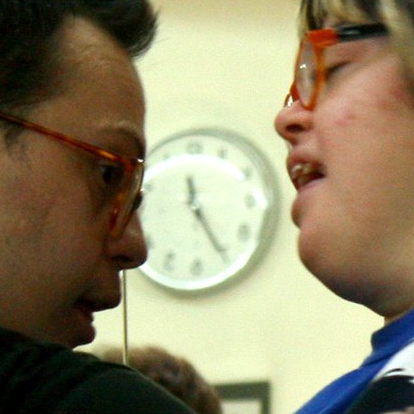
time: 11:25
